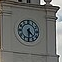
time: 4:31
